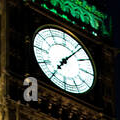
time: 7:06
